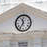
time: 11:35
